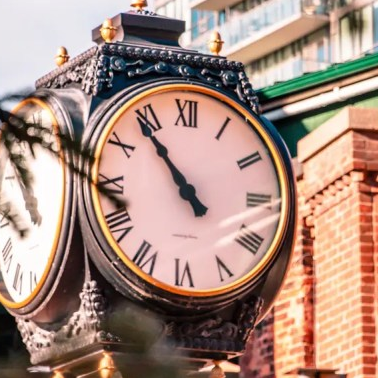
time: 10:53
